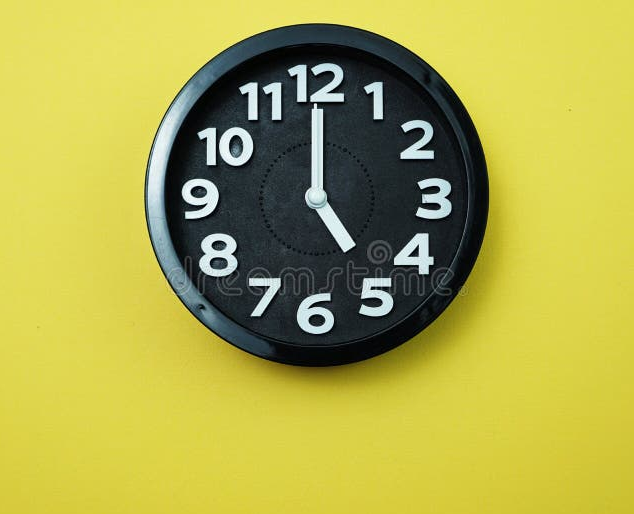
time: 5:00
